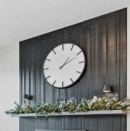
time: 1:10
